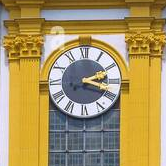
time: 2:18
